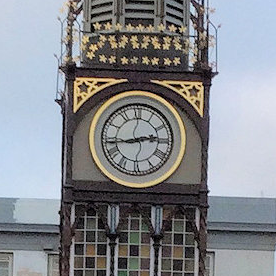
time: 2:43
